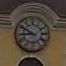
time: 8:49
